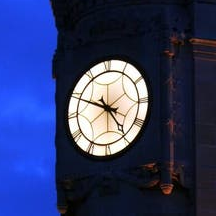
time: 4:49
